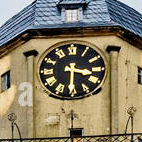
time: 3:30
